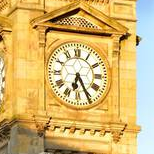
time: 6:25
